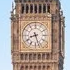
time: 8:27
